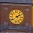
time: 1:39
